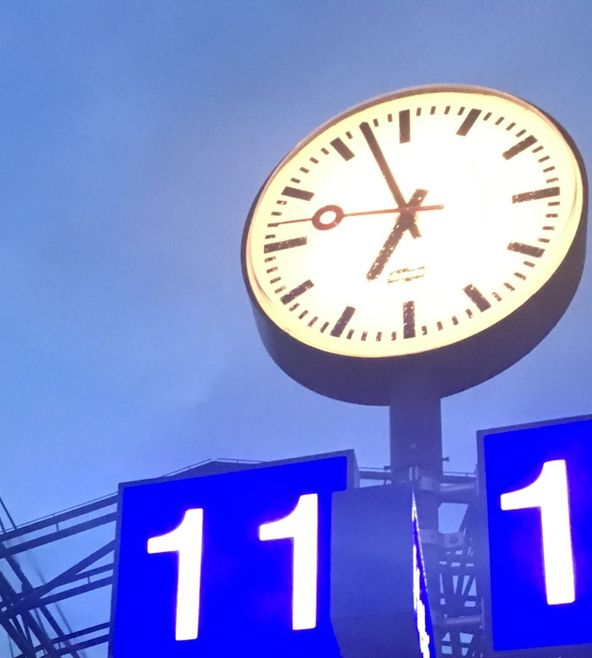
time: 6:56
